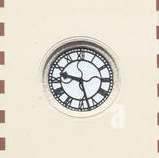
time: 9:27
